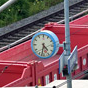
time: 4:32
